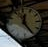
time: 12:24
